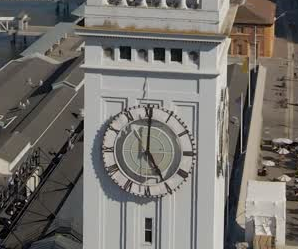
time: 5:00
